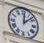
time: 12:07
